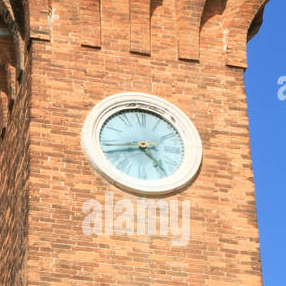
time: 4:42
